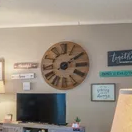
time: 2:09
